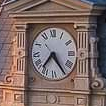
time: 7:24
